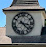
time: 3:22
